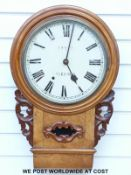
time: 5:02
